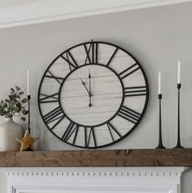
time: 10:59
